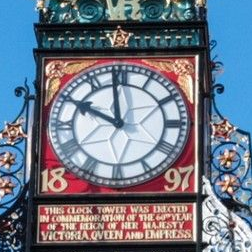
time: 9:58
